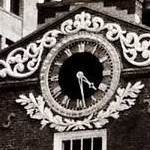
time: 4:28
